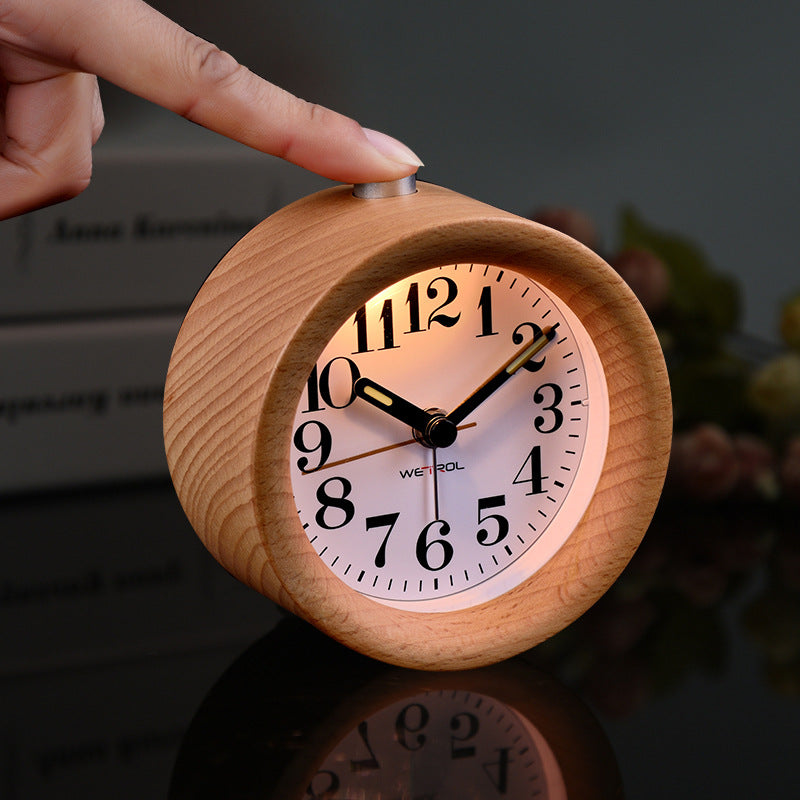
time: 10:09
